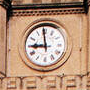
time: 8:59
